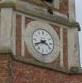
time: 3:40
